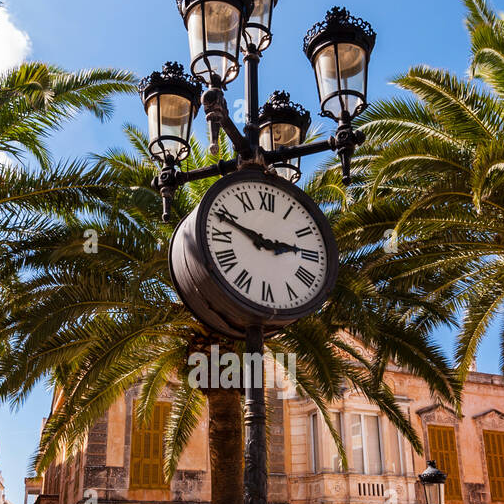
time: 2:48
